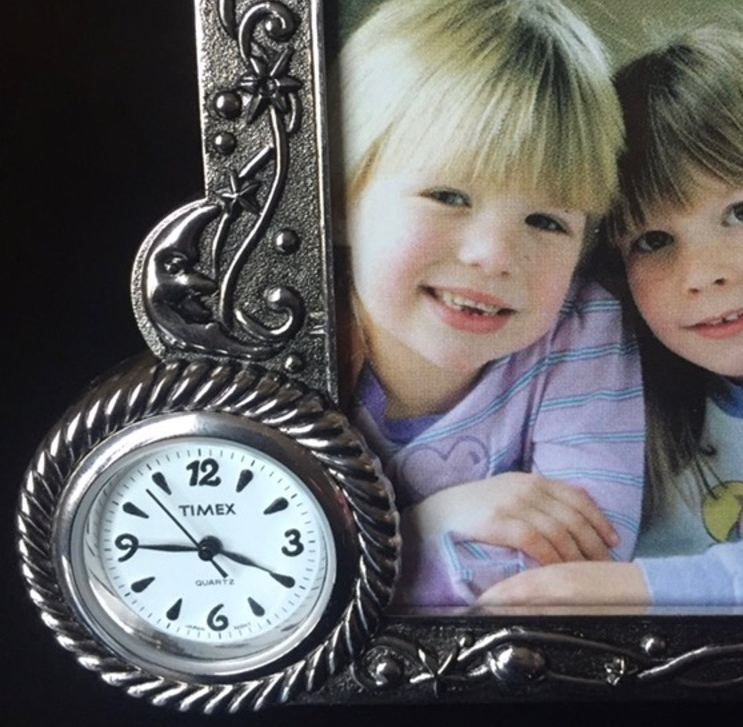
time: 3:45
